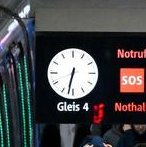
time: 6:32
